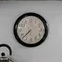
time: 7:37
